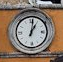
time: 1:01
